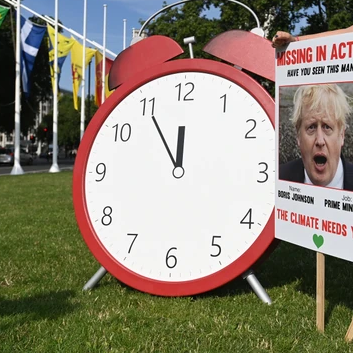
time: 11:54
